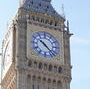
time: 10:22
